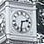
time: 2:31
